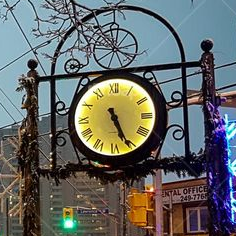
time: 5:26
